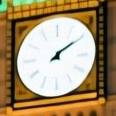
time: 2:09
